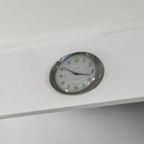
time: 10:17
